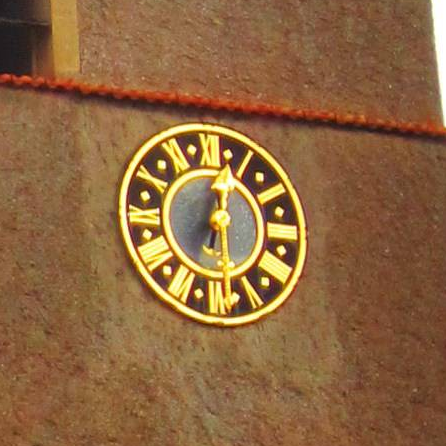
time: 12:28
